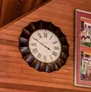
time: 3:49
